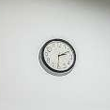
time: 2:09
